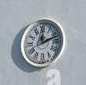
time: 12:11
